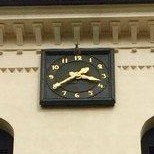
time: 3:39
